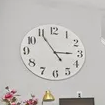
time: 2:54
